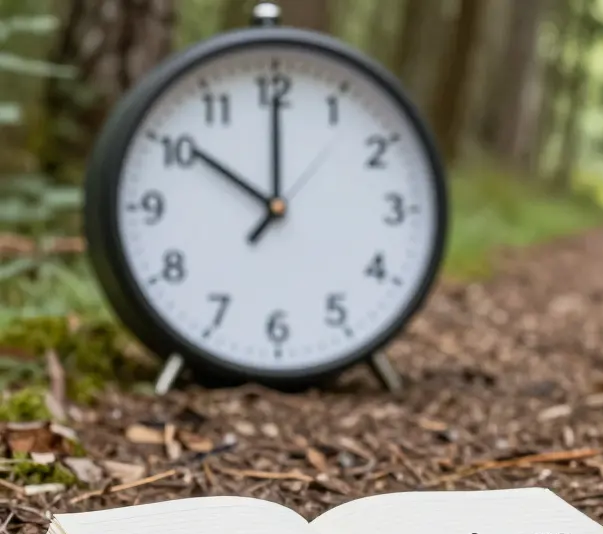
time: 10:00
